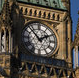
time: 1:53
